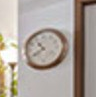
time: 10:39
